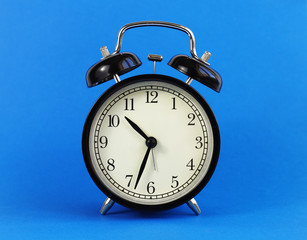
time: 10:33
